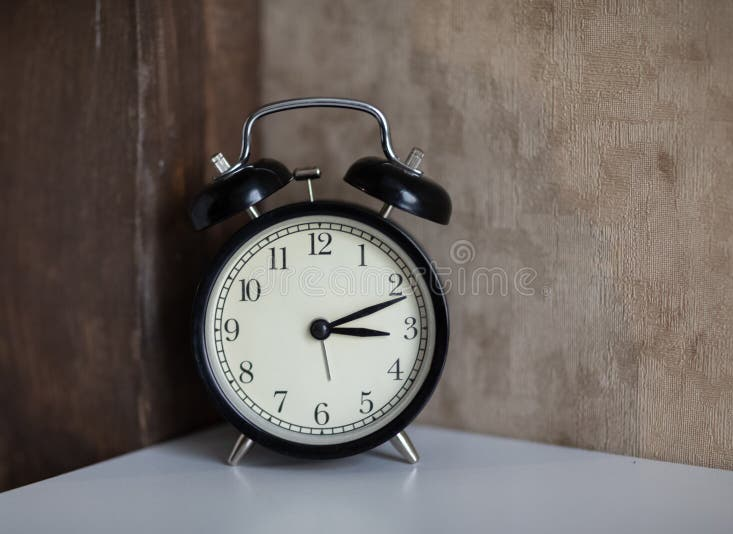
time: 3:11
